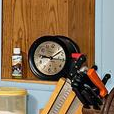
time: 9:08
